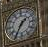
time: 1:35
